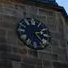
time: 2:23
